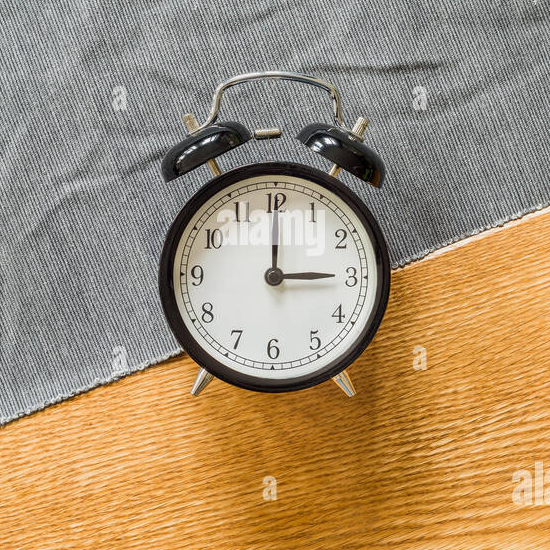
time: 3:00
